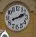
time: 1:41
